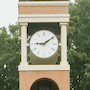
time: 9:08
